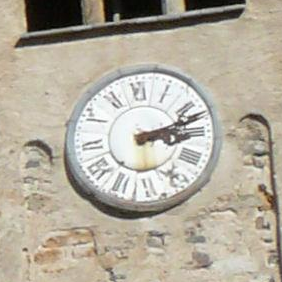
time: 3:12
